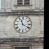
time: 11:20
